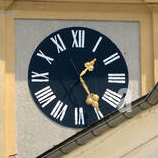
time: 1:24
